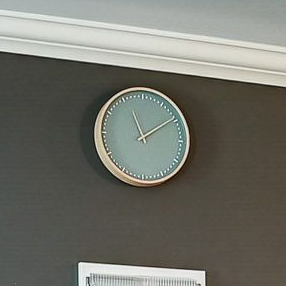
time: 11:09
